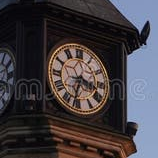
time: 3:32
